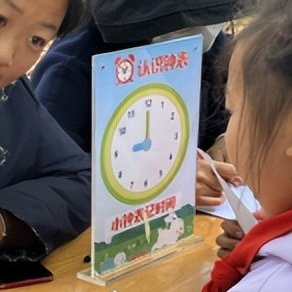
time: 9:00
